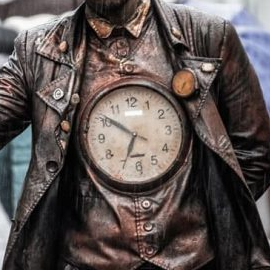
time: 6:50
